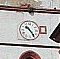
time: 10:24
